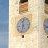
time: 11:32
